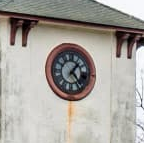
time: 1:23
